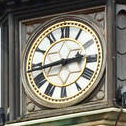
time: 2:43
